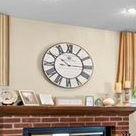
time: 10:15
